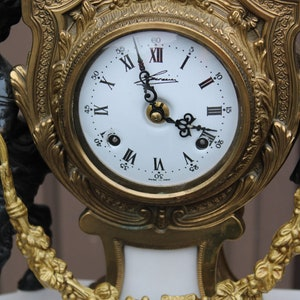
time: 3:57
